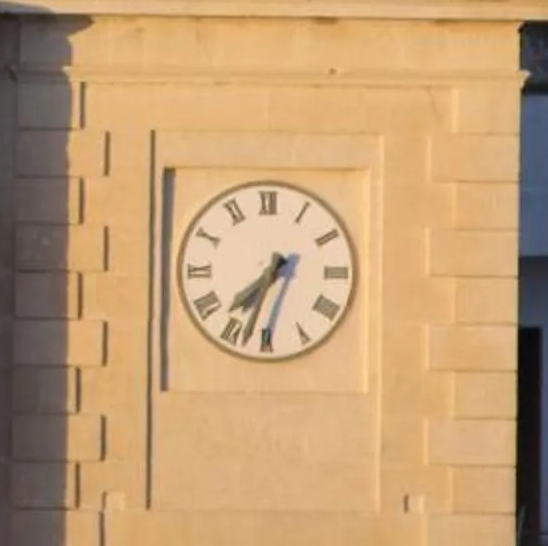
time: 7:32
